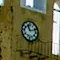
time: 11:12
